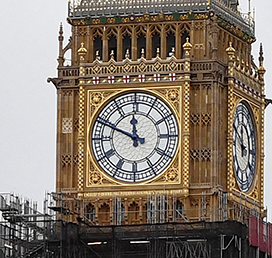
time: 11:48
